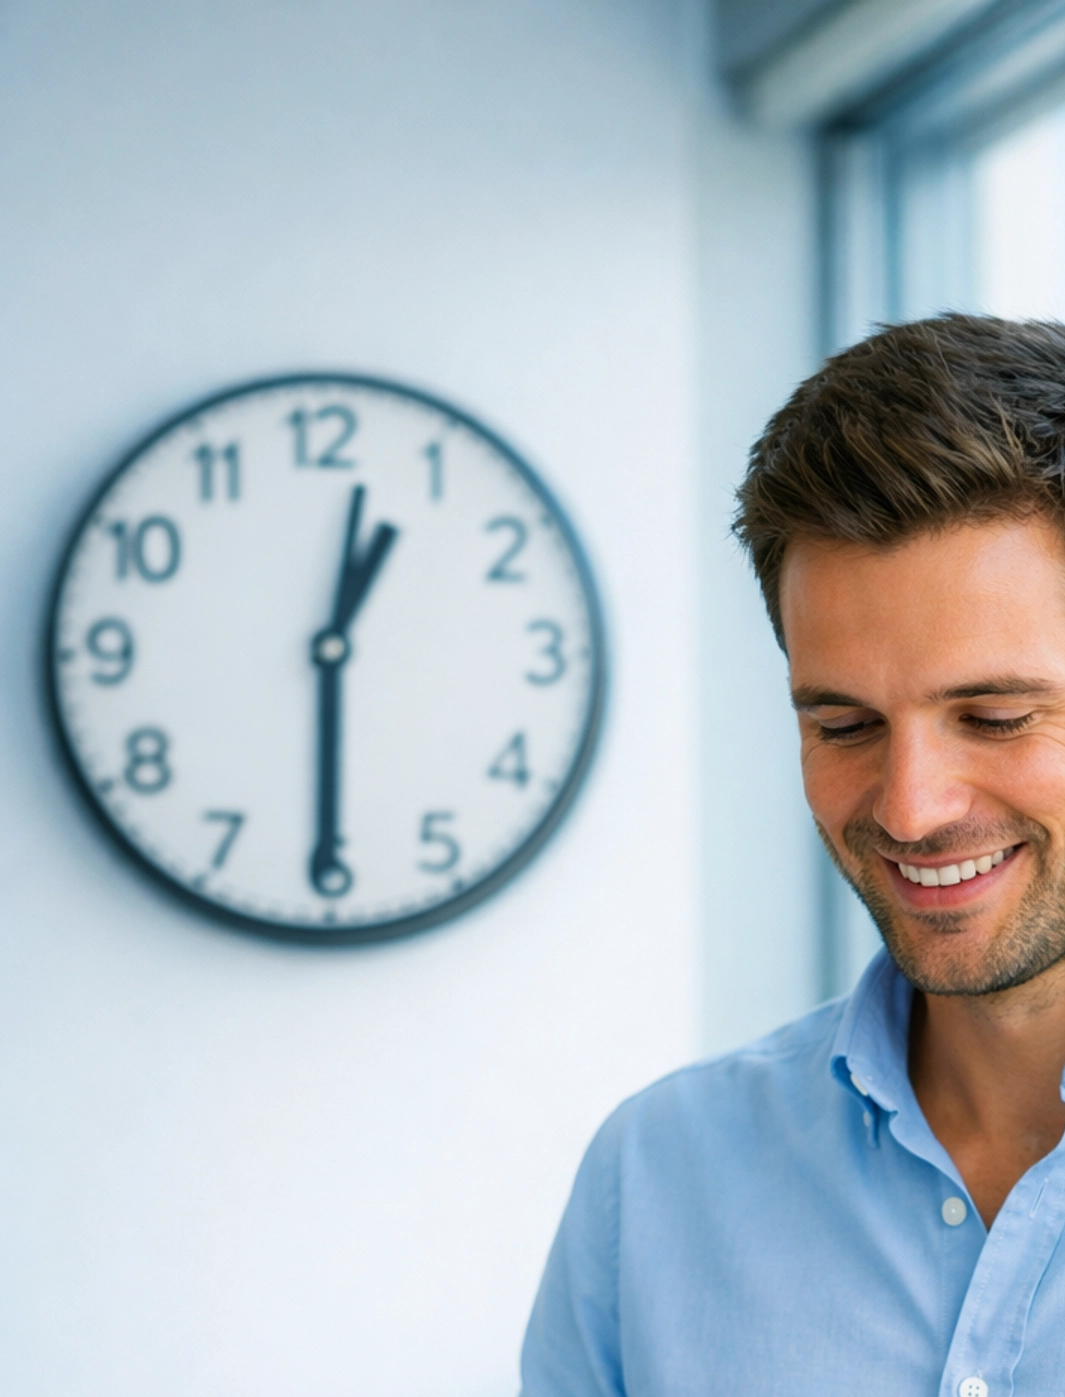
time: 12:30
